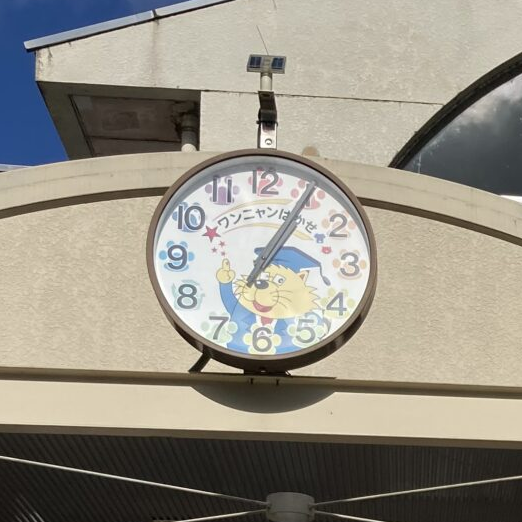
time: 7:05
